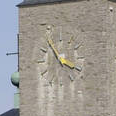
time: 3:54
